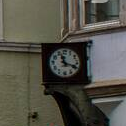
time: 11:18
